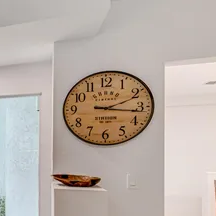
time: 2:16
